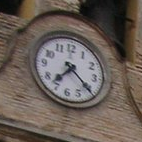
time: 7:21
